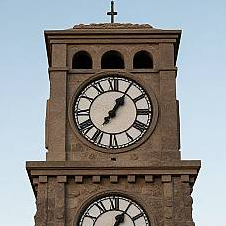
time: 1:05
